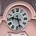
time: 9:27
